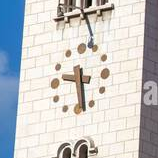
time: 9:28
